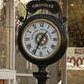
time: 1:34
